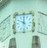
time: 10:00
